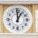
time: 12:59
